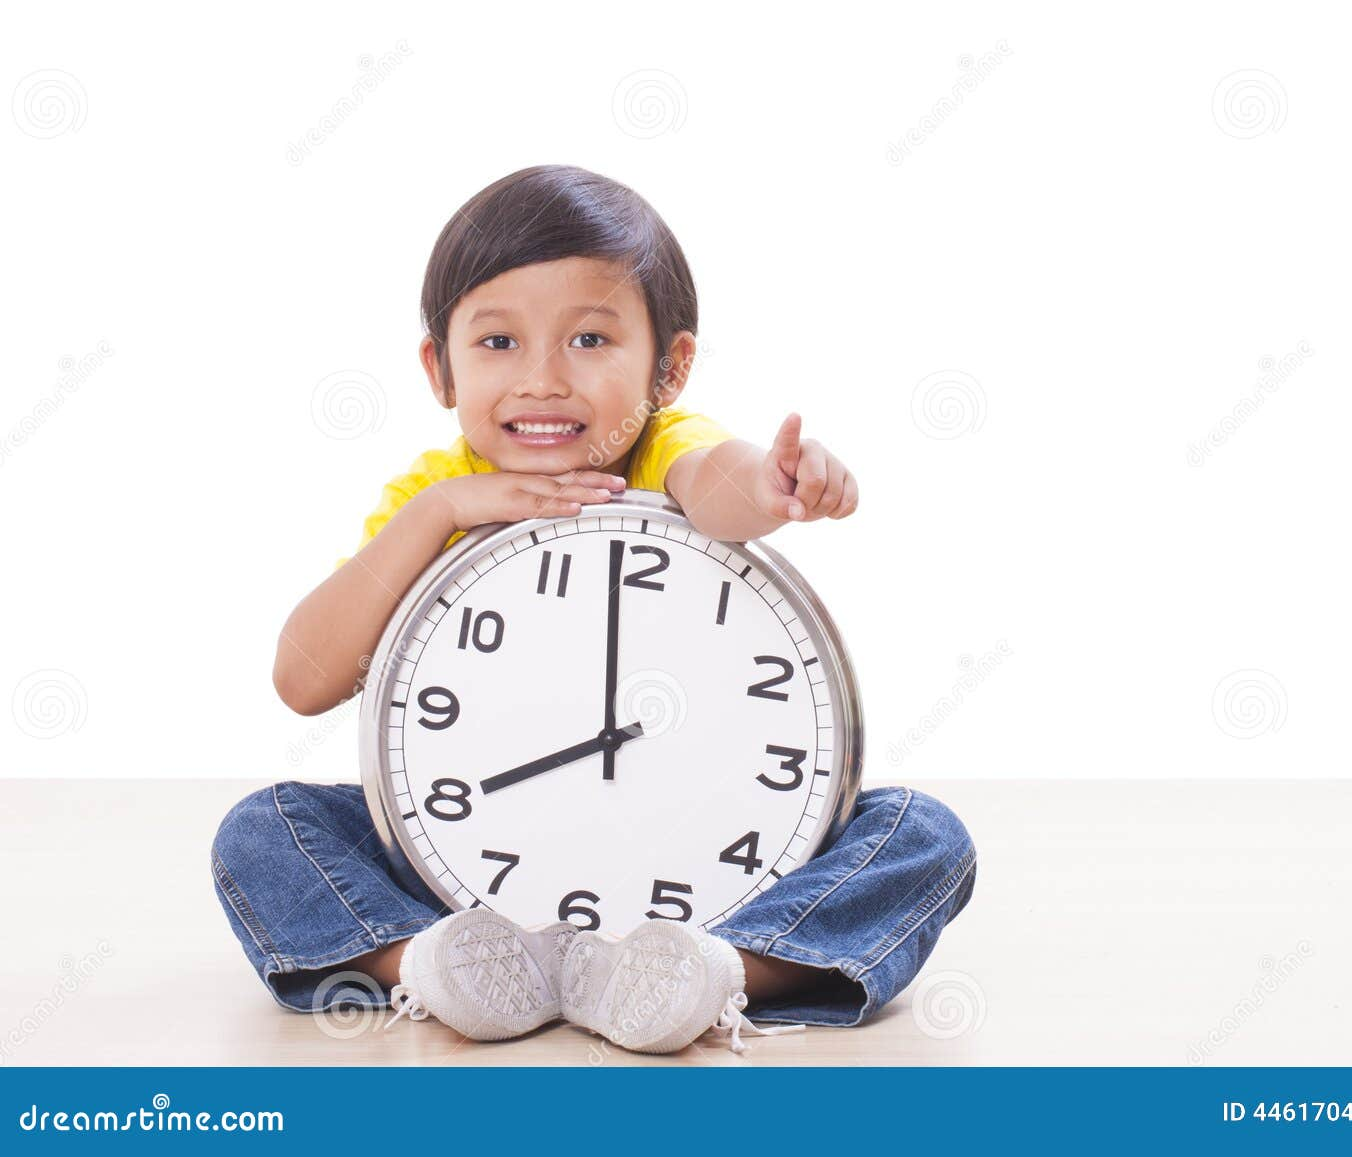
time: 7:58
